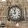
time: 11:42
